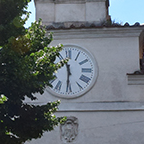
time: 11:30
